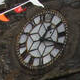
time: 1:18
